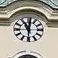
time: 11:01
